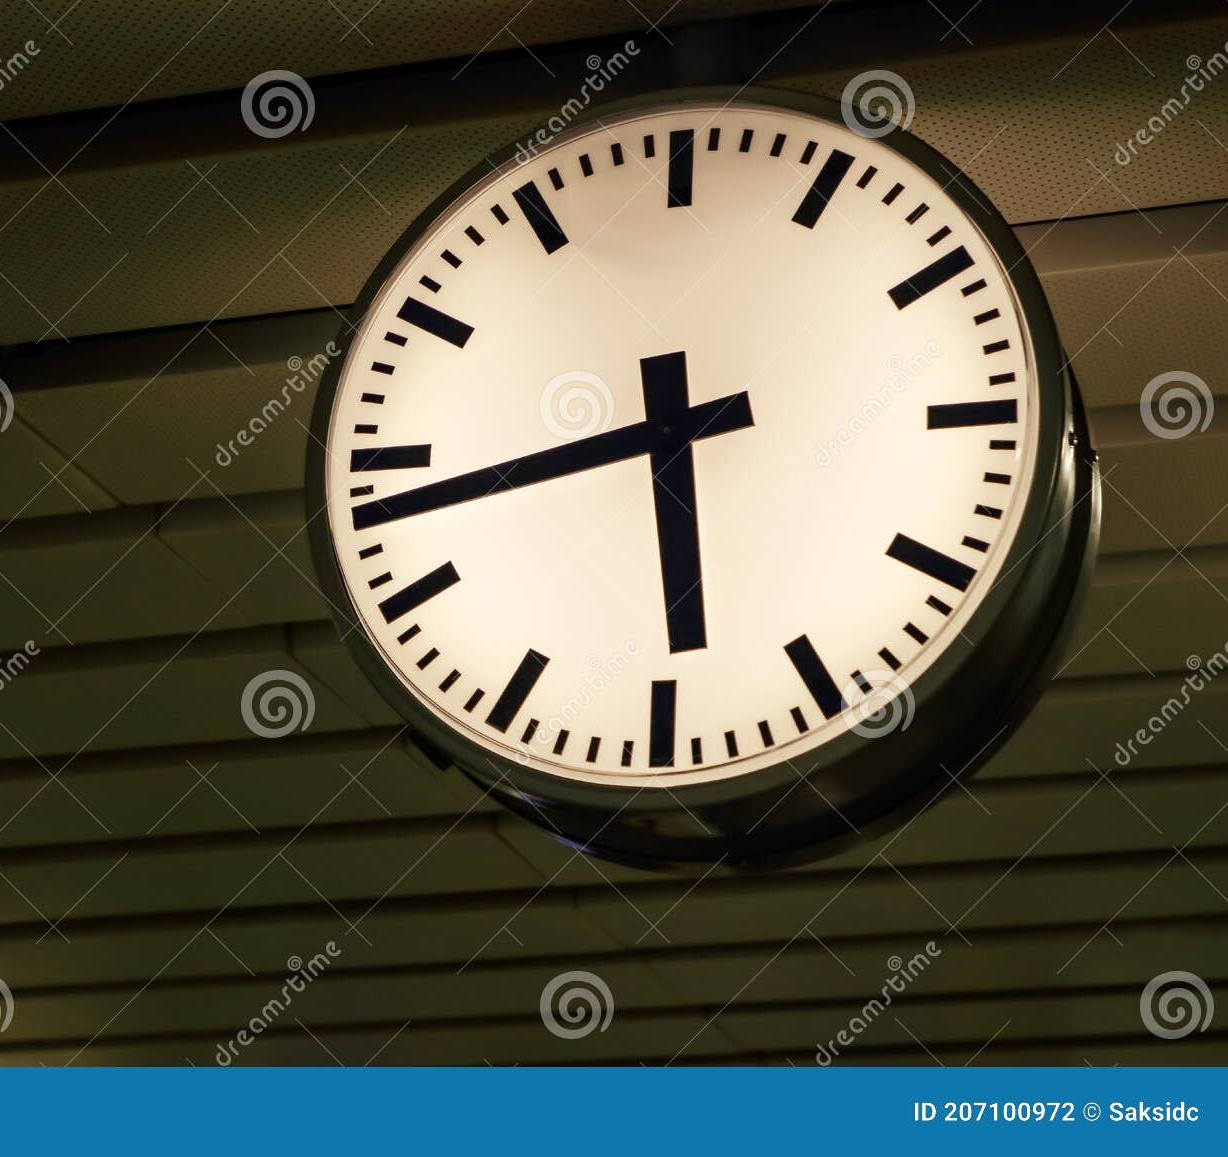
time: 5:43
